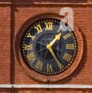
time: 1:24
